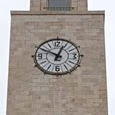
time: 12:49
